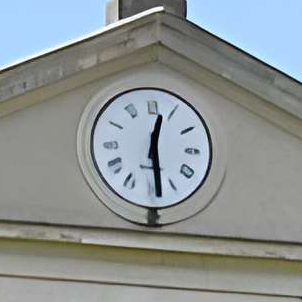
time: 12:28
